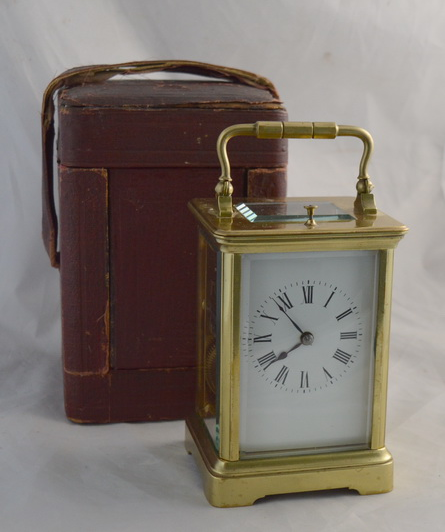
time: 10:41
